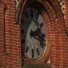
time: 2:18
